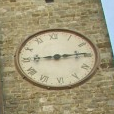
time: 9:14
